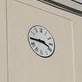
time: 3:44
